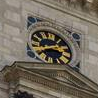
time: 2:40
